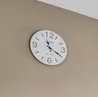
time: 11:19
